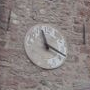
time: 11:19
